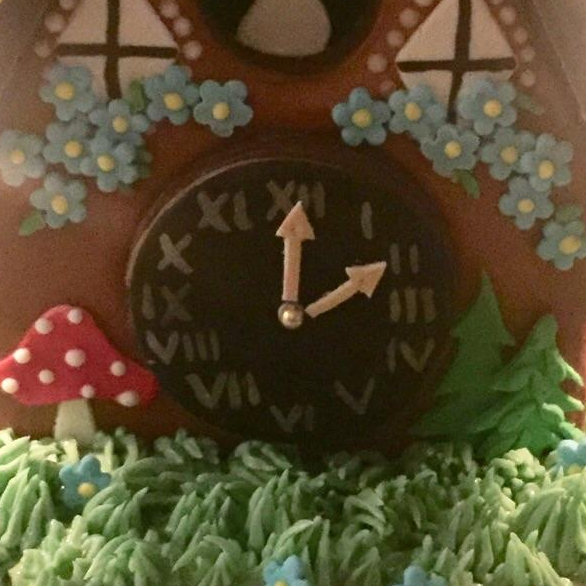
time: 2:00
